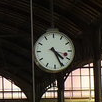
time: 4:26
